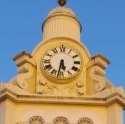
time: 5:32
